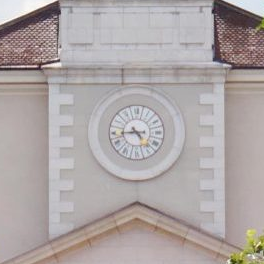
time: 4:43
